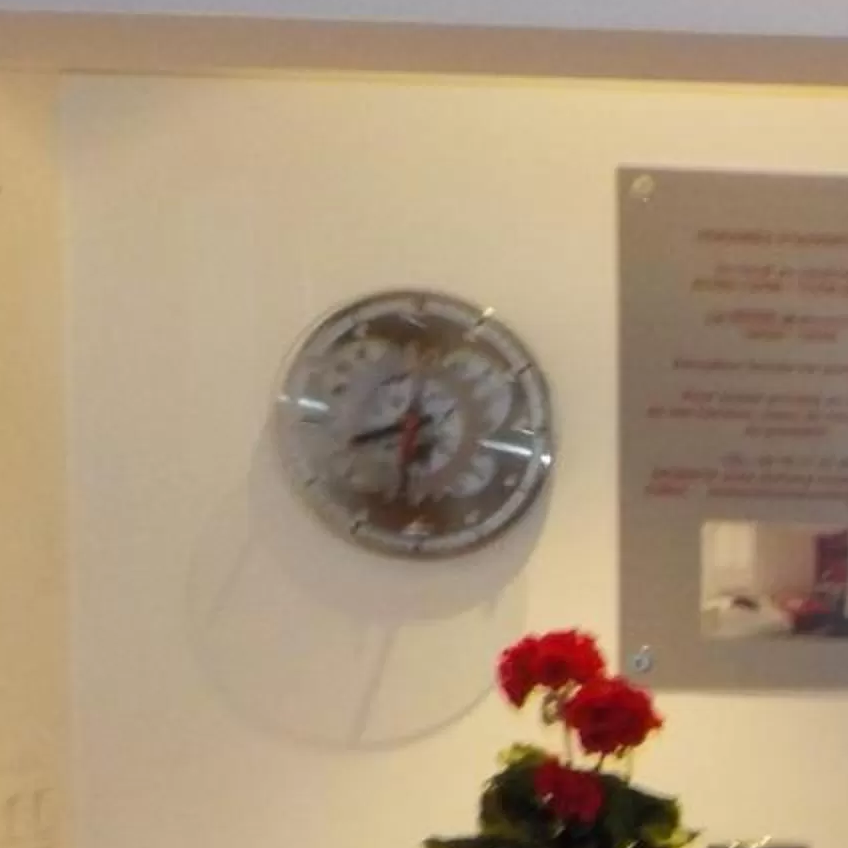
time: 8:32
